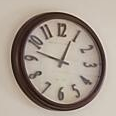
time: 12:47
